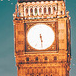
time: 5:29
